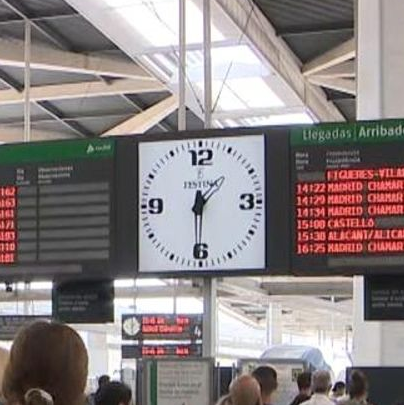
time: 1:30
